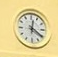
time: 12:20
